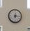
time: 12:15
